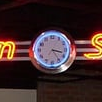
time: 3:24
